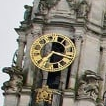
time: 7:17
